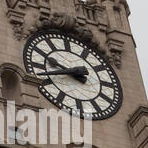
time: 9:42
